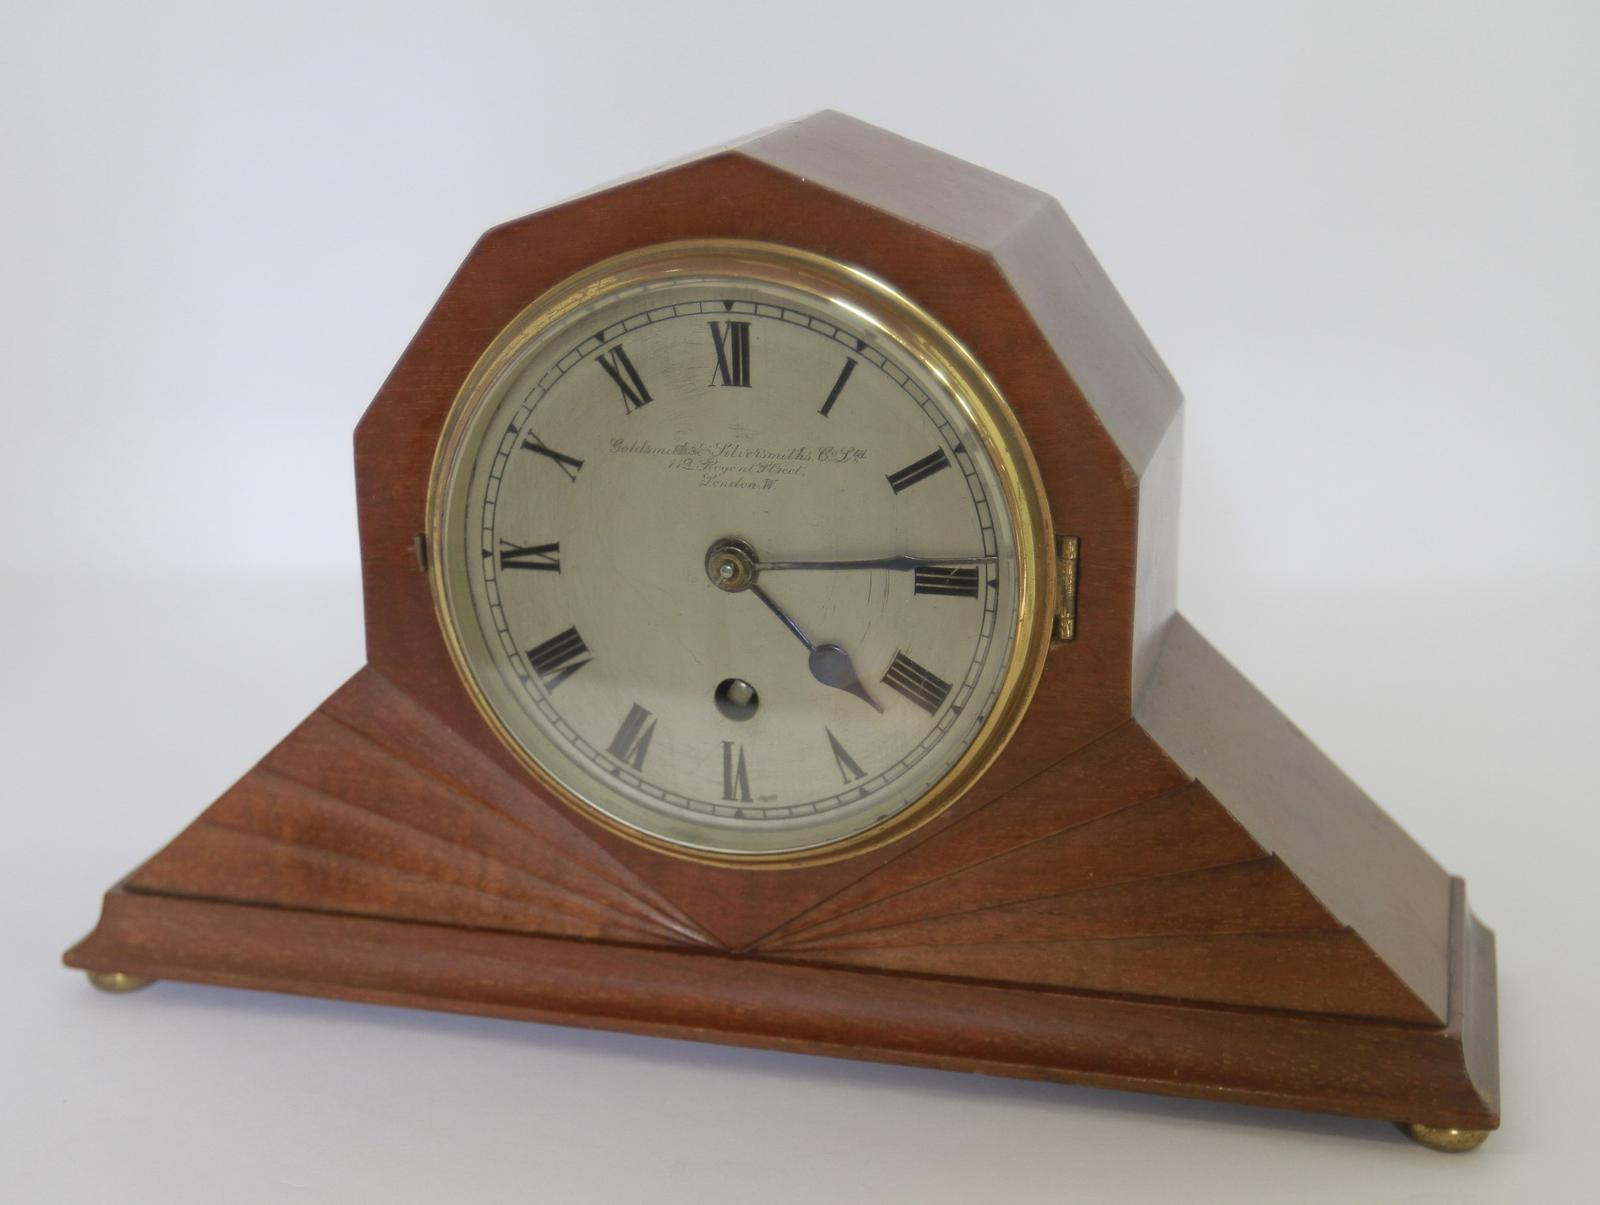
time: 4:14
